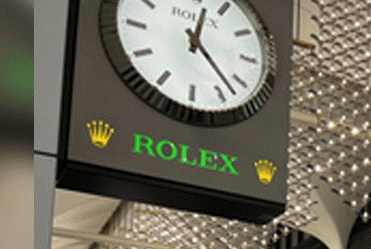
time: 12:22
